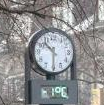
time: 10:29
